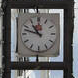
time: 10:47
